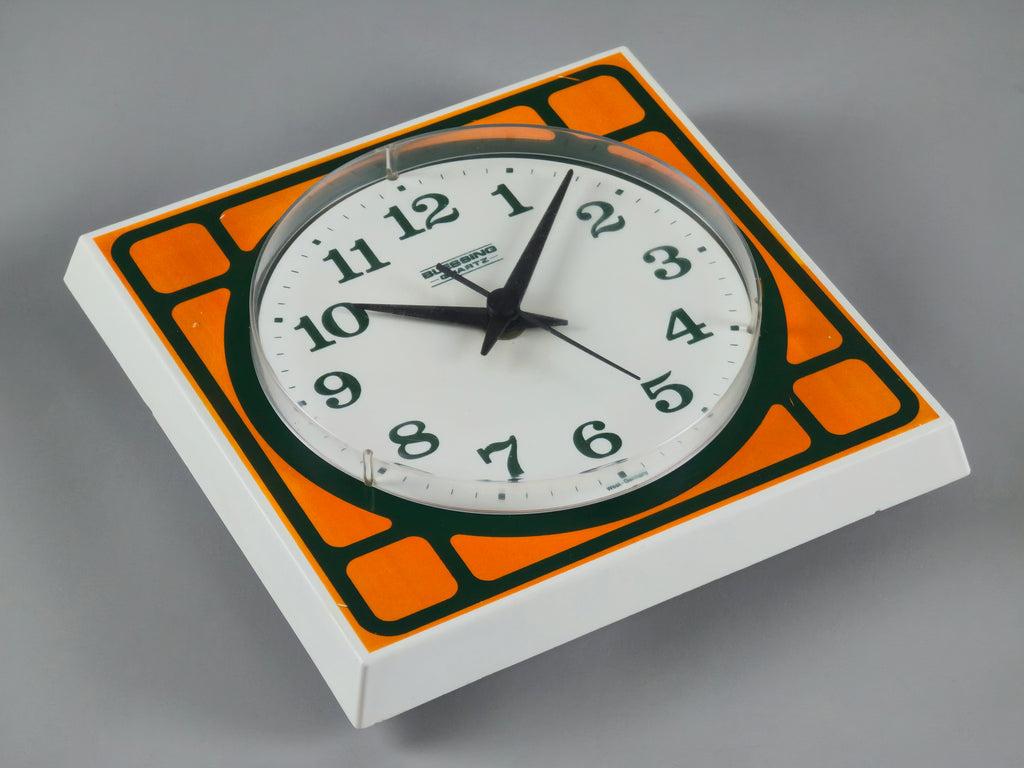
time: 10:07
